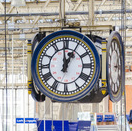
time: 12:59
